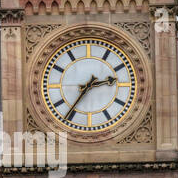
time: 2:36
